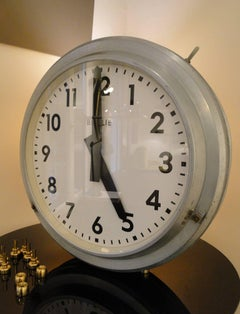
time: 4:59
